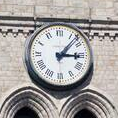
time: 3:06
